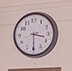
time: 3:30
